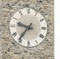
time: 9:36
